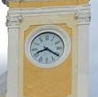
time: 8:20
